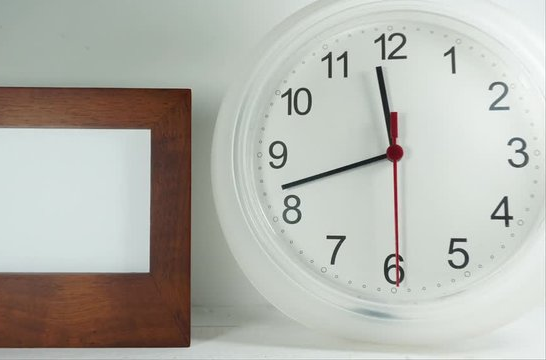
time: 11:42
